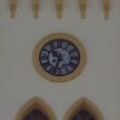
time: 10:33
